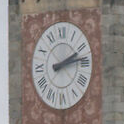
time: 2:13
